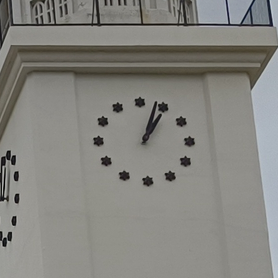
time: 1:03
